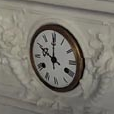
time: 10:00
